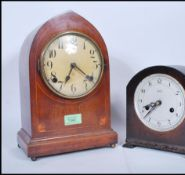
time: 7:20
